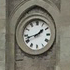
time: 1:42
